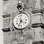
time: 4:34
